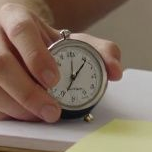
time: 12:06
